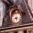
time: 8:27
